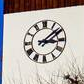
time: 3:08
